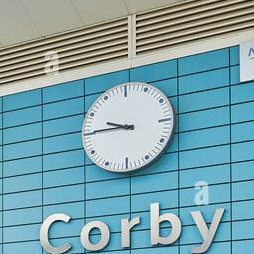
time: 9:45
